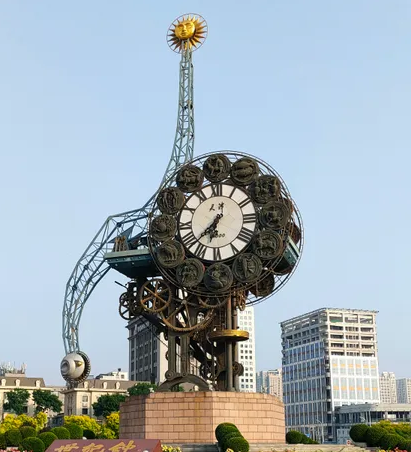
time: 6:36
